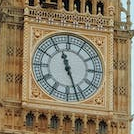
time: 11:26
